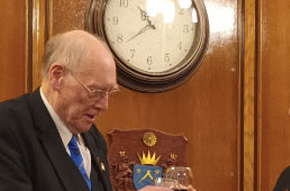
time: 10:38
